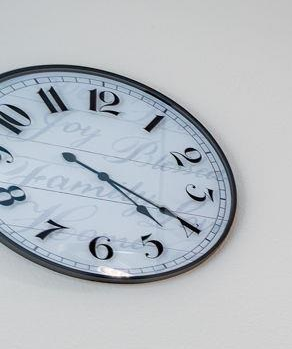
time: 4:19
